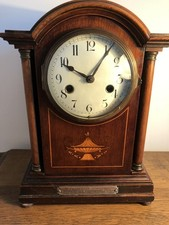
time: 10:05
